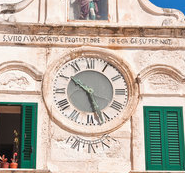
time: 10:27
